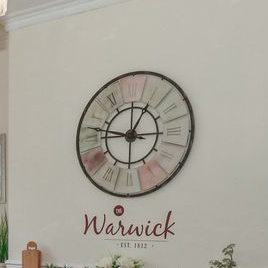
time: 12:47
